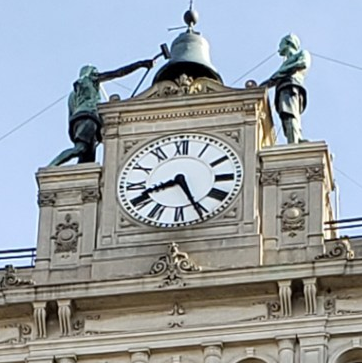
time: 8:25
